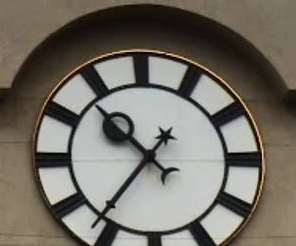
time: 10:36
